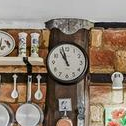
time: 10:57
